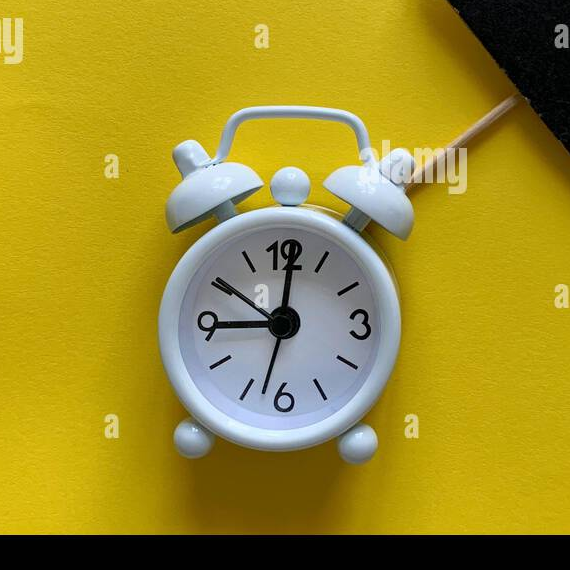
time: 9:00
